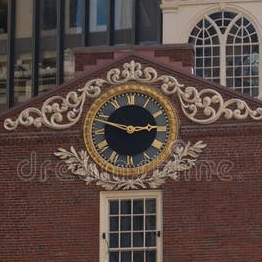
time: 2:48
